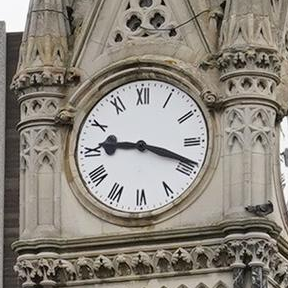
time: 9:18
